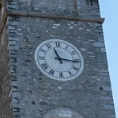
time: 11:16
